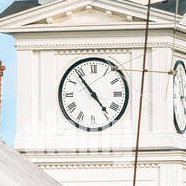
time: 4:53
